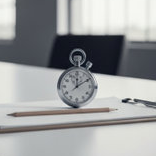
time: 12:09
